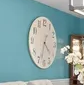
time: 4:33
